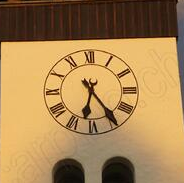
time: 6:24
